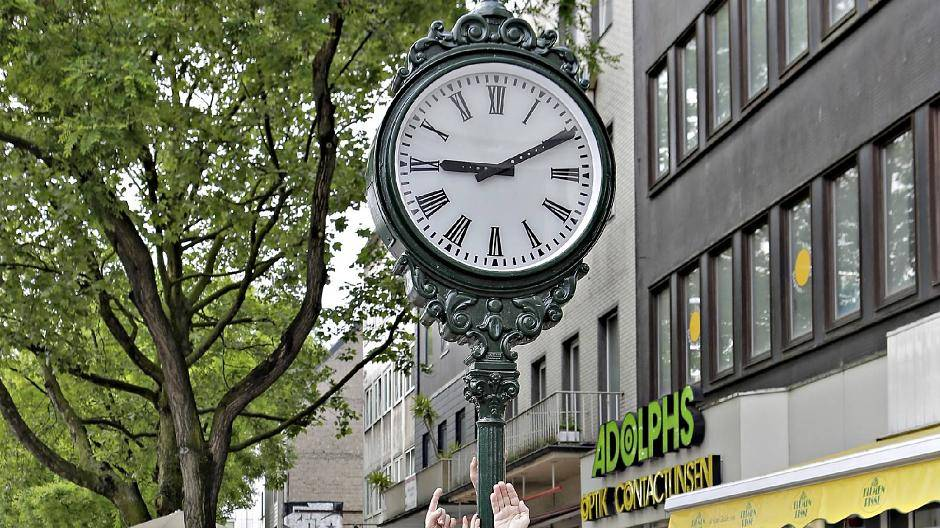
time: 9:10
